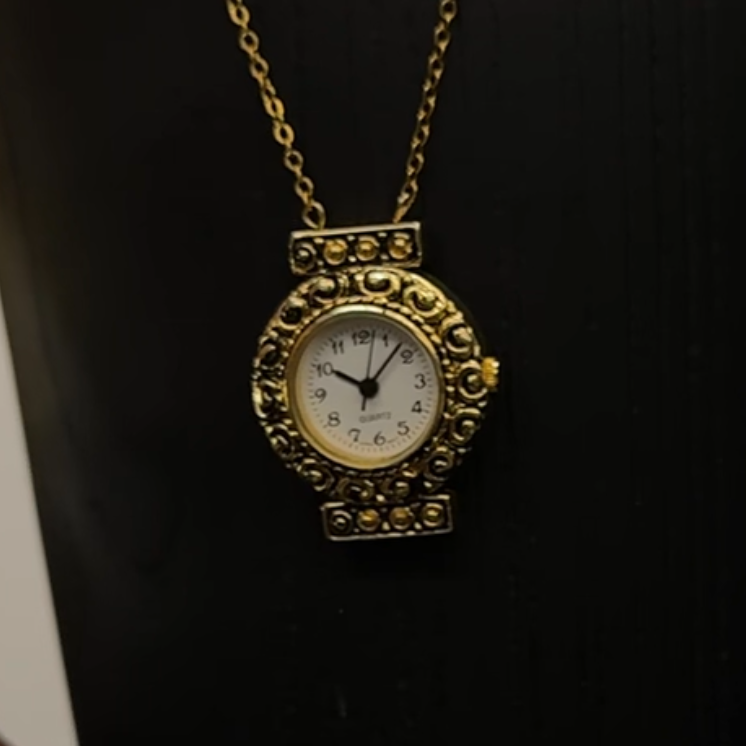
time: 10:07
